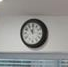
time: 11:00
